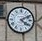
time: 4:10
